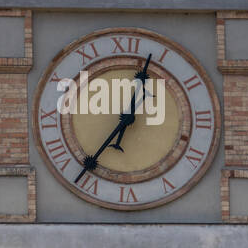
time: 12:36
